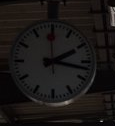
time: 2:17
